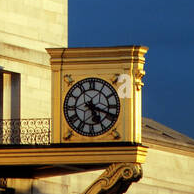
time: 5:18
